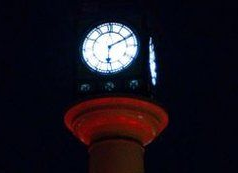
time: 6:10
